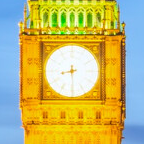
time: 8:29
